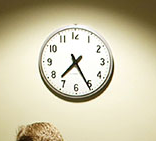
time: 7:25
